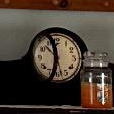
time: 11:32
